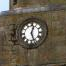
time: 12:26
